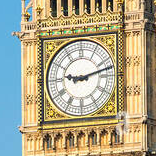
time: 9:12
